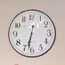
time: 6:32
